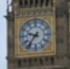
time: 9:36
